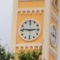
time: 2:46
